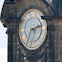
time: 2:34
